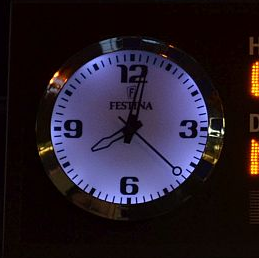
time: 8:01
